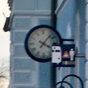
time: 4:07
